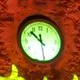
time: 11:52
